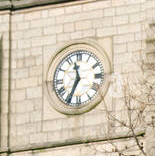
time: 11:34
